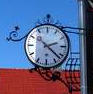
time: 2:21
